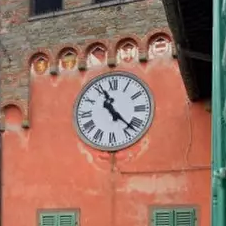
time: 11:22
